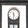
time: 11:30
